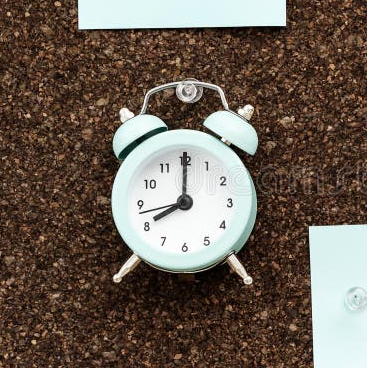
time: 8:00
